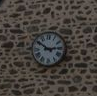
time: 2:50
